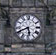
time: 5:40
